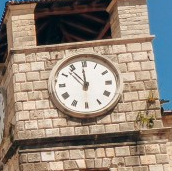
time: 11:53
